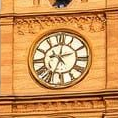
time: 2:34
